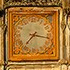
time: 7:17
